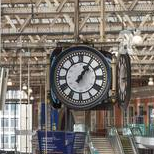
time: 1:06
